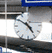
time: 4:50
